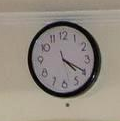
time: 4:19
